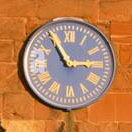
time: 2:54
